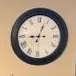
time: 9:03
